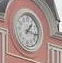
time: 1:16
